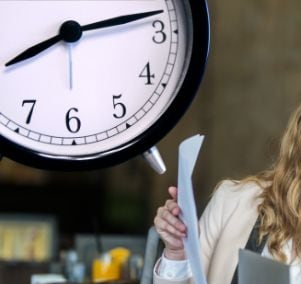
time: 8:12
